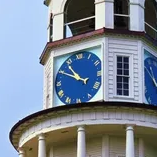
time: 10:49
